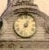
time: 7:04
